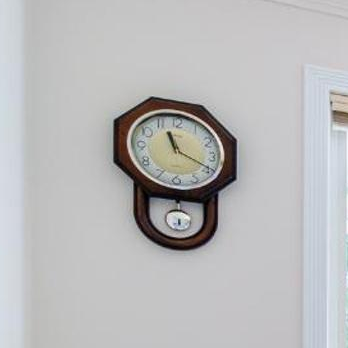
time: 11:19
